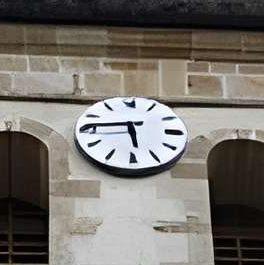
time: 5:45
